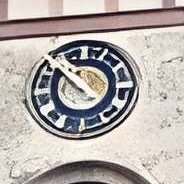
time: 3:52
